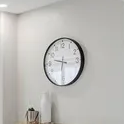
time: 9:30
